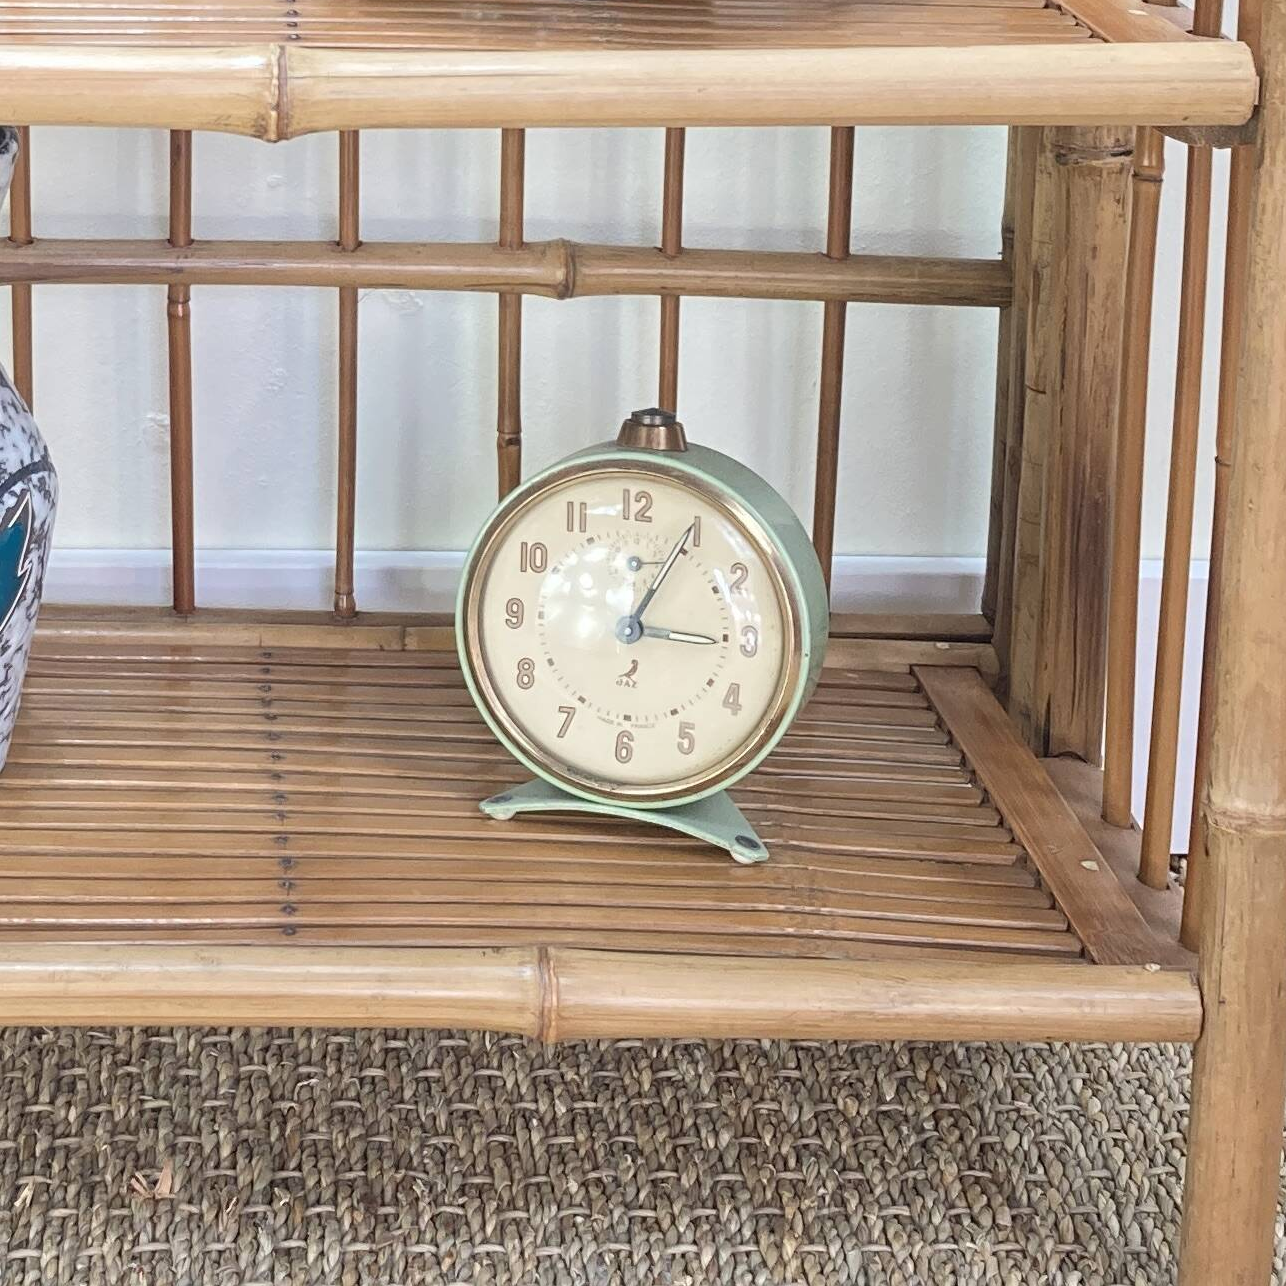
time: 3:04
